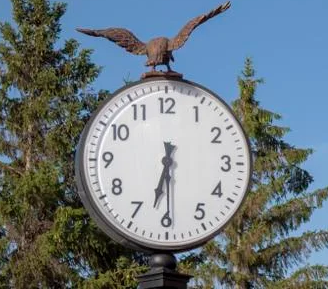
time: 6:29
